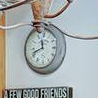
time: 11:41
